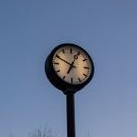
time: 12:49
